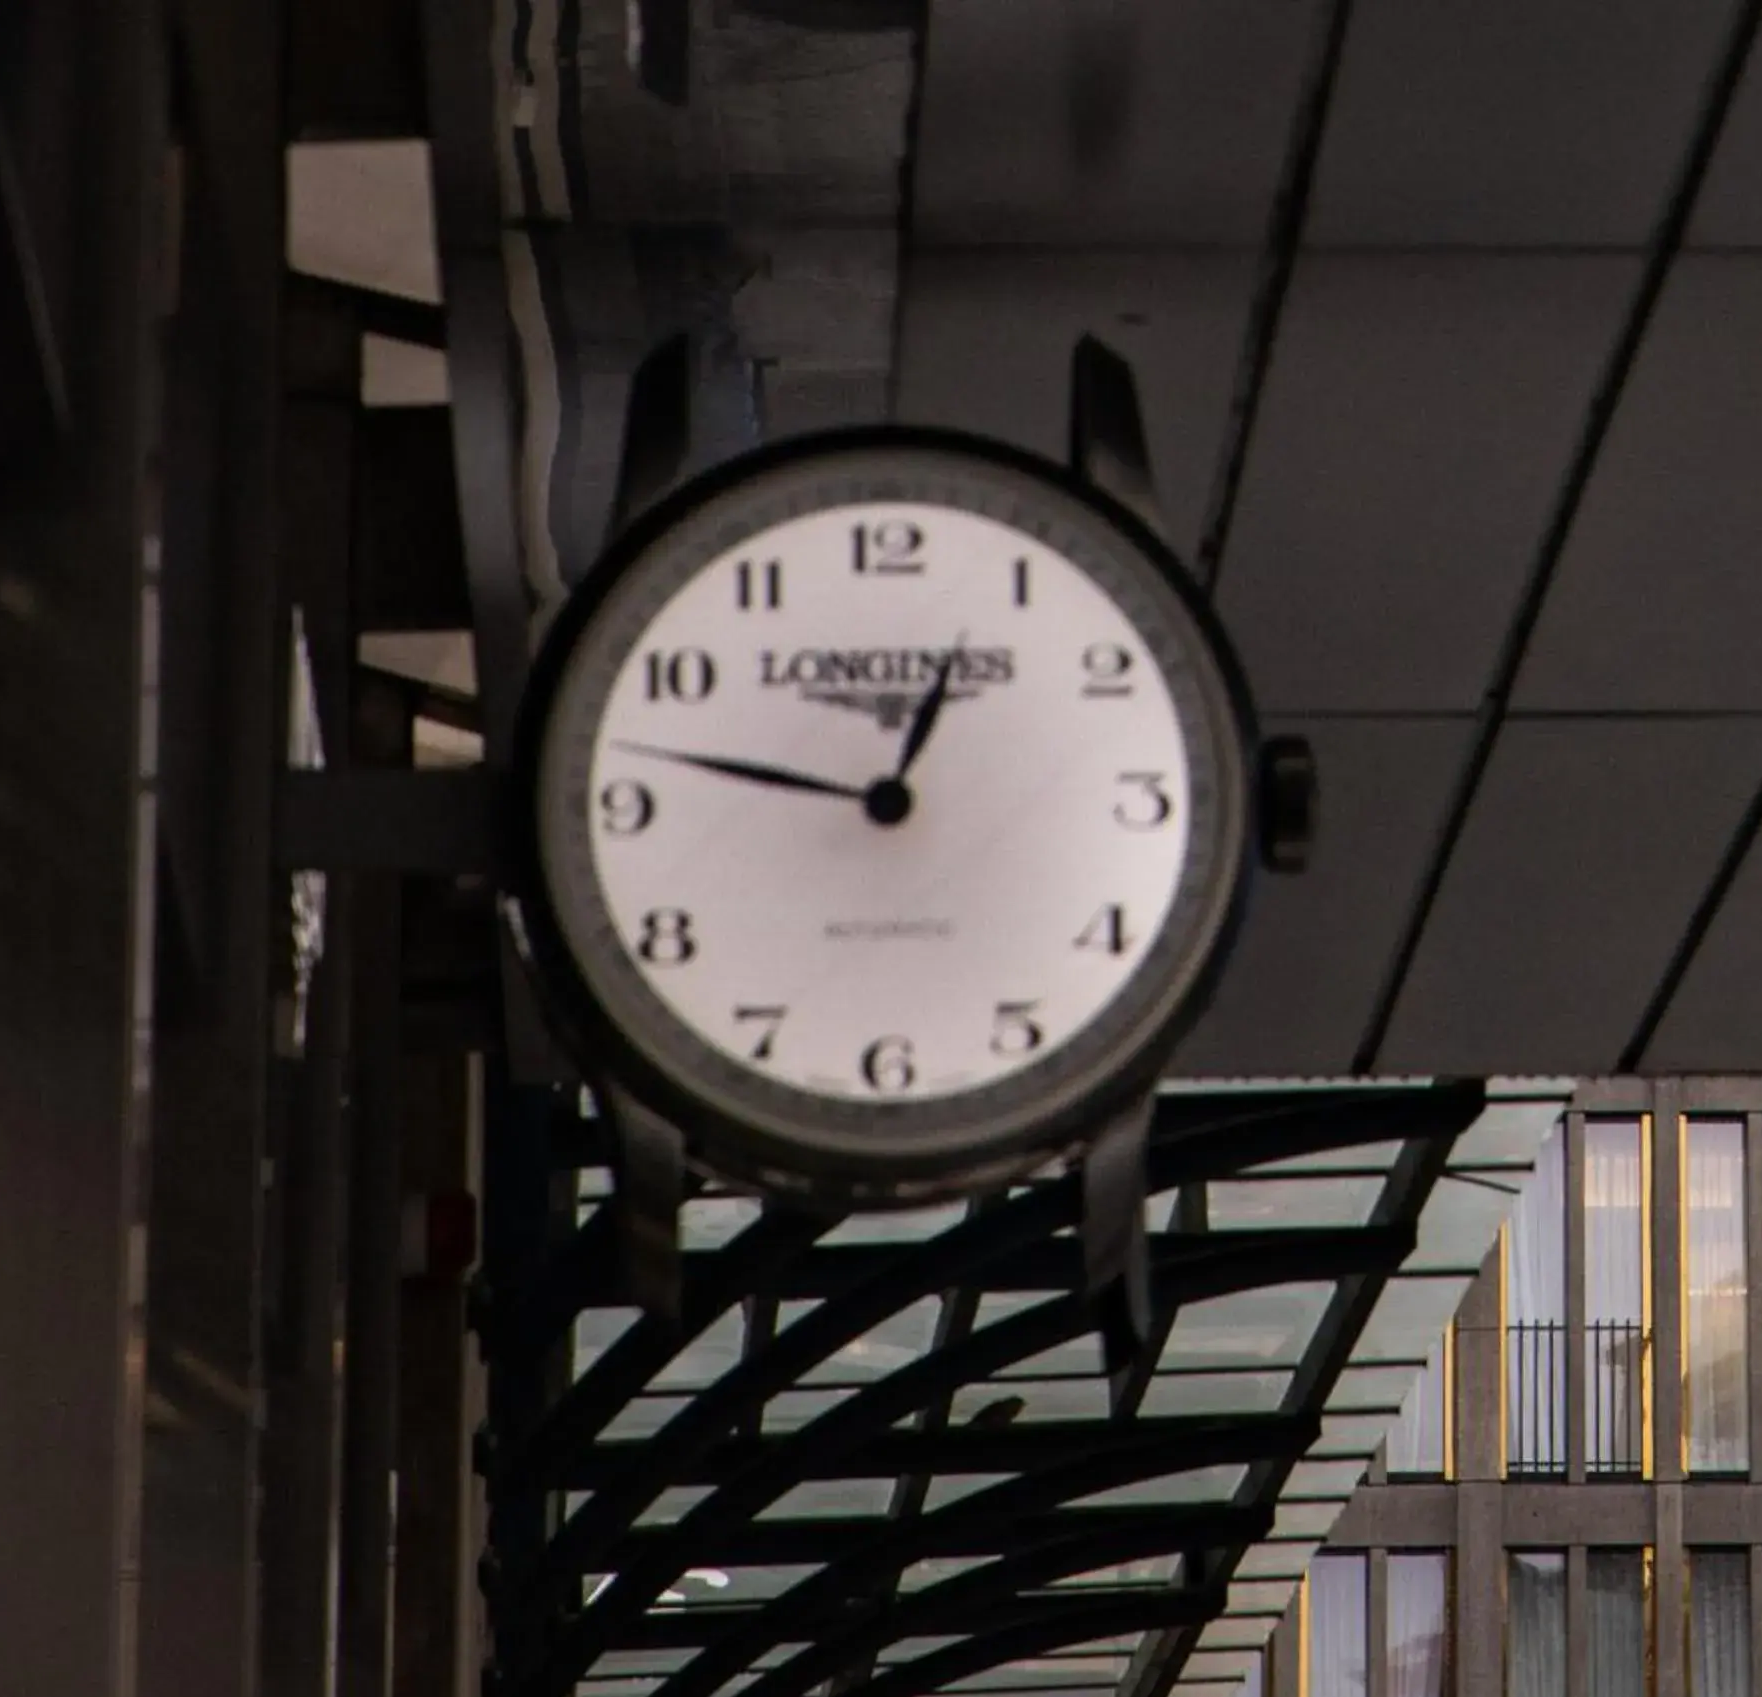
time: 12:46
